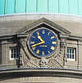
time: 10:41
